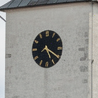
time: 5:20
